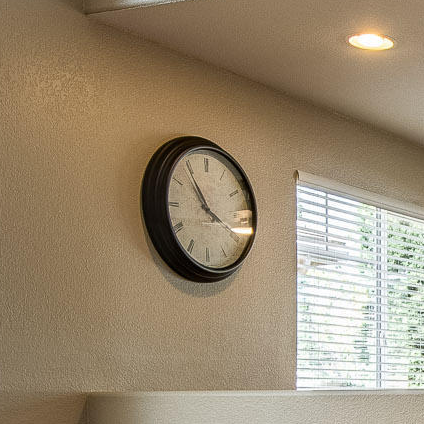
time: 3:54
